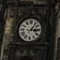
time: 3:06
